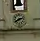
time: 2:40
